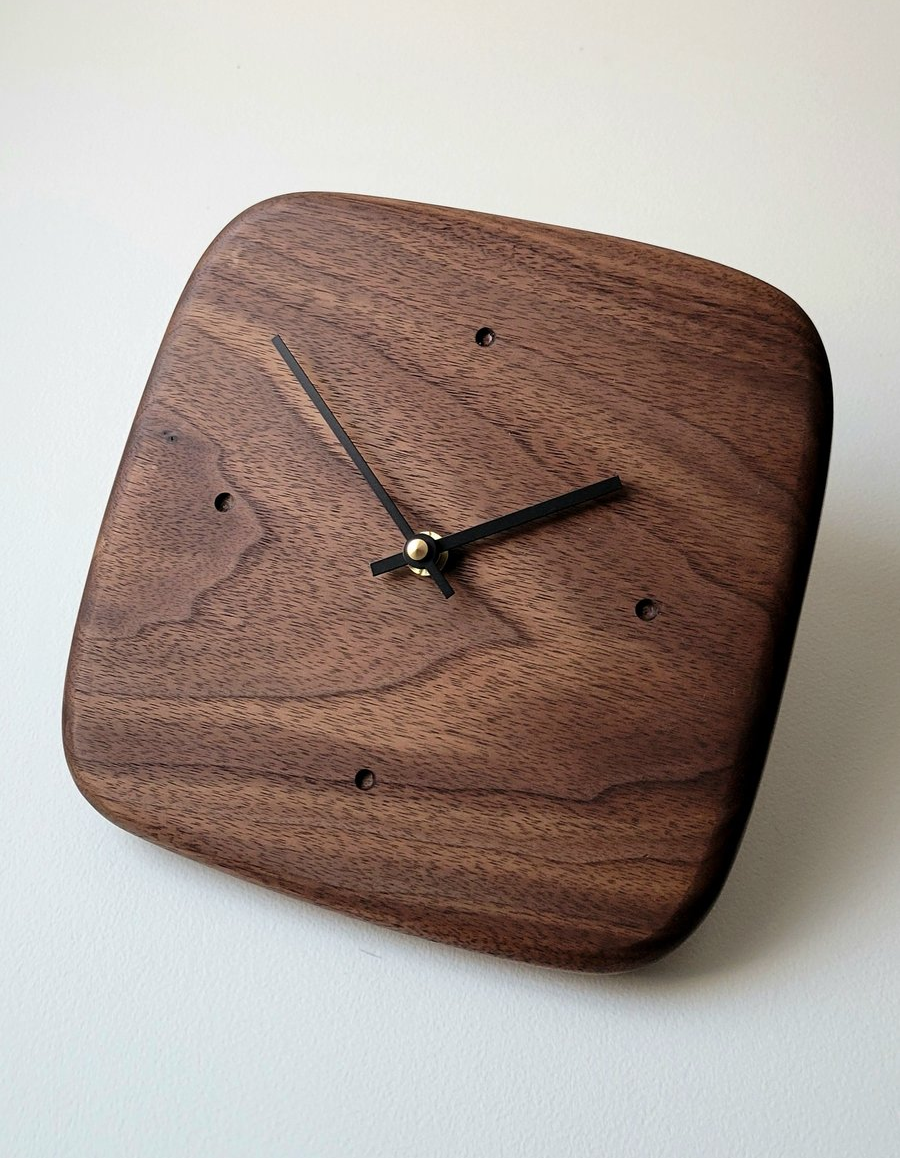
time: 1:51
